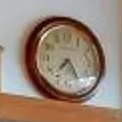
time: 7:25
